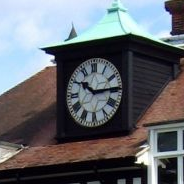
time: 10:14
